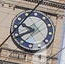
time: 9:40
